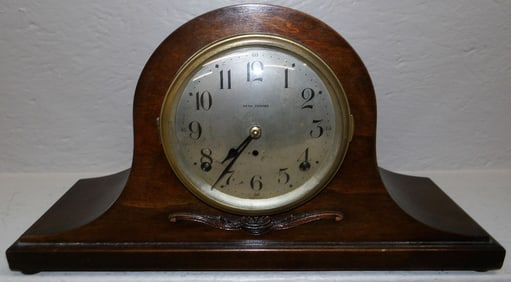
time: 7:36
